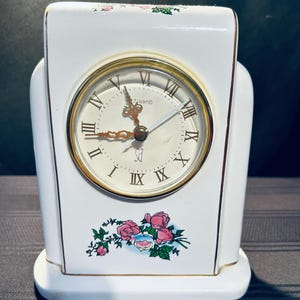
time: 8:56
